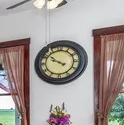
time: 9:51
